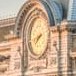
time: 7:42
